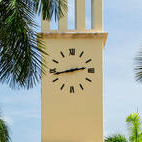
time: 2:42
